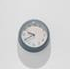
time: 9:40
